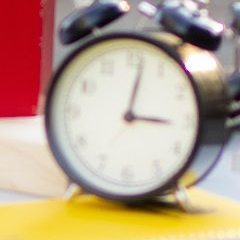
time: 3:01
